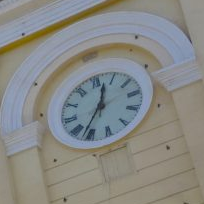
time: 12:36
